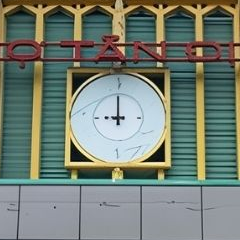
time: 8:59
